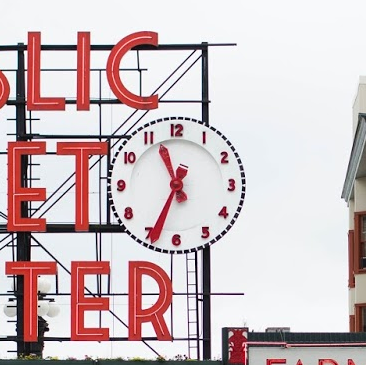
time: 11:34
